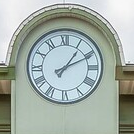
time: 1:10
